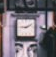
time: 9:10
